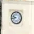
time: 9:42
